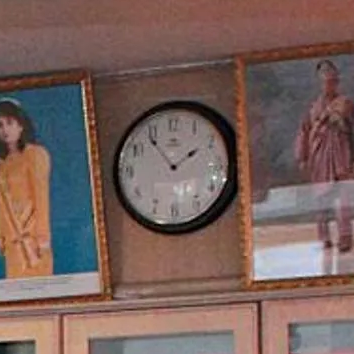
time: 1:53
